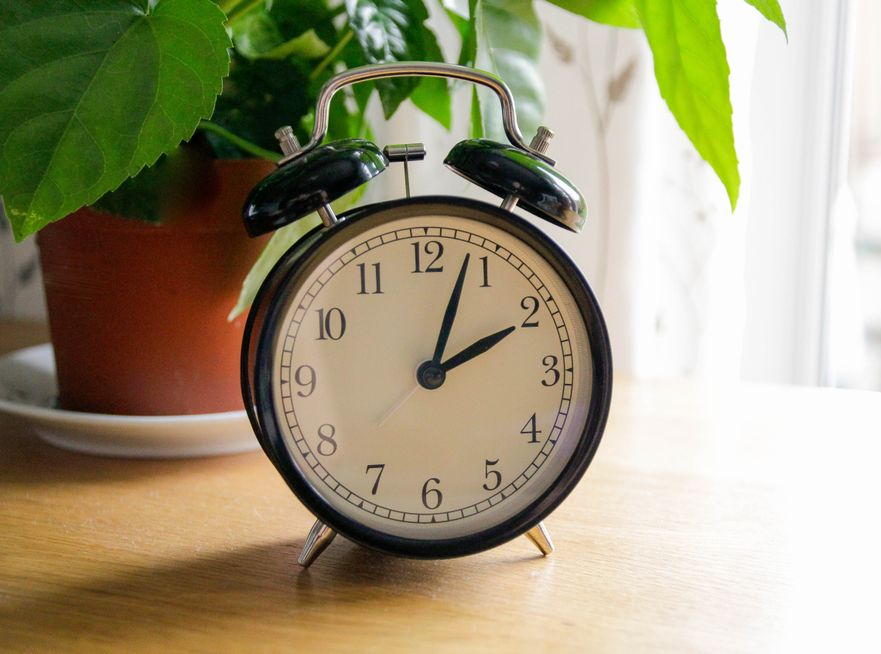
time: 2:03
